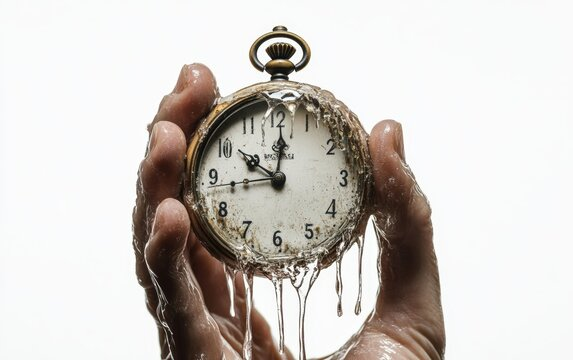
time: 10:01
